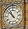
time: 10:52
